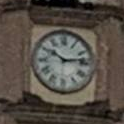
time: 10:13
